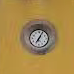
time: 7:04
